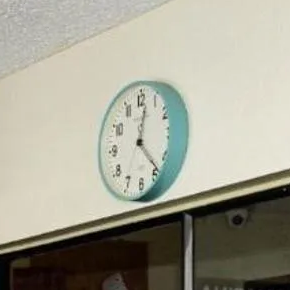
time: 12:23
